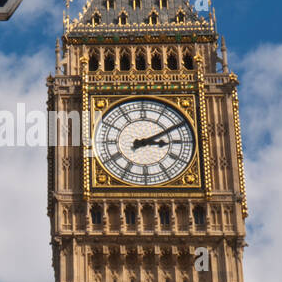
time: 3:10
